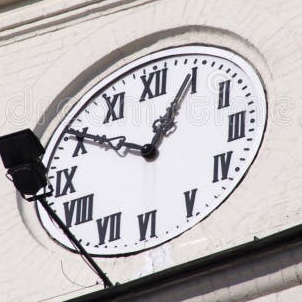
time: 12:50
